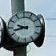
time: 9:42
